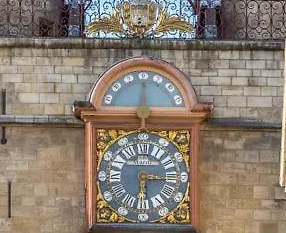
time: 6:15
